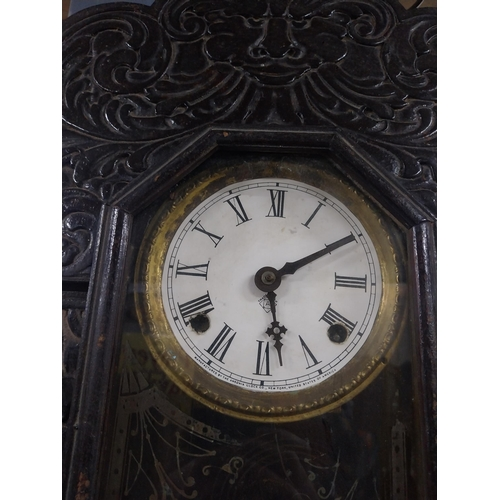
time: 5:09
